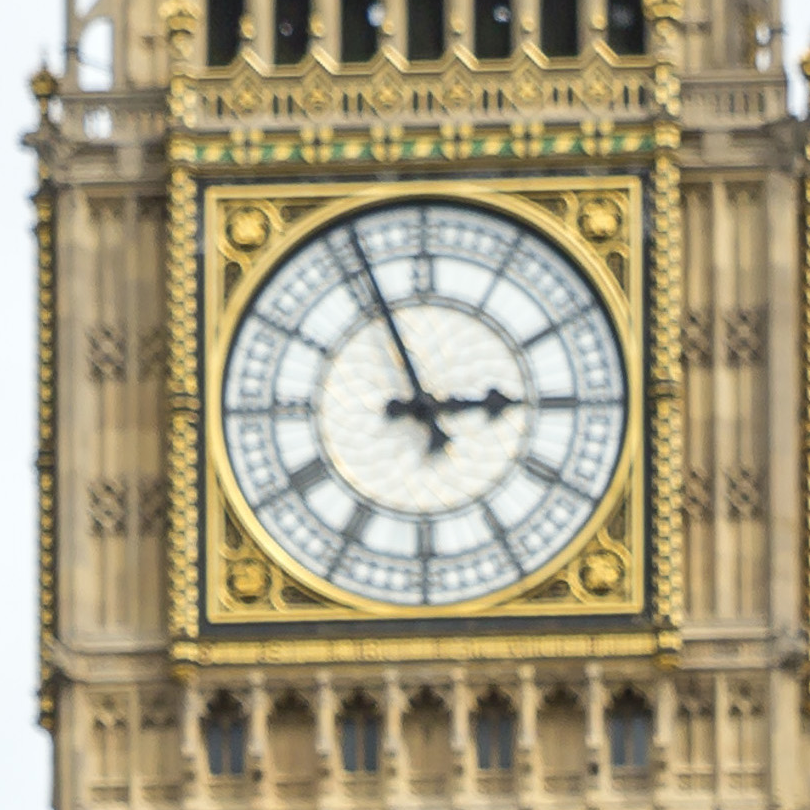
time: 2:56
